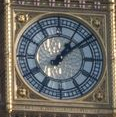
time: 1:08
